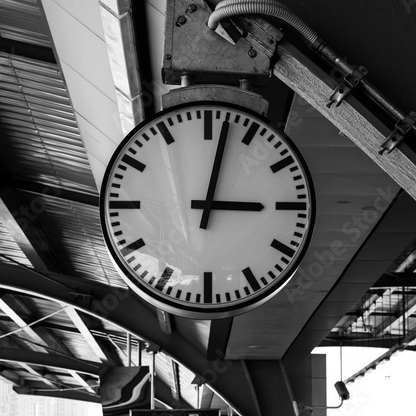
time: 3:02
